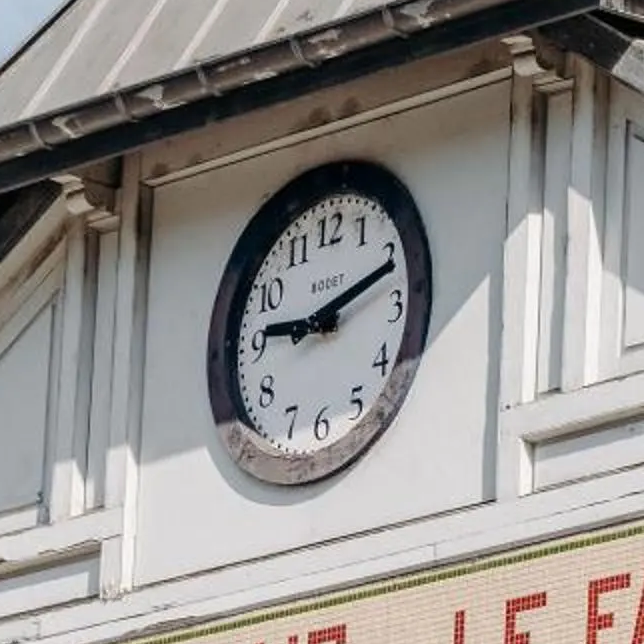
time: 9:11
